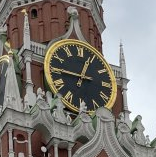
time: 12:45
